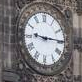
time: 9:14
